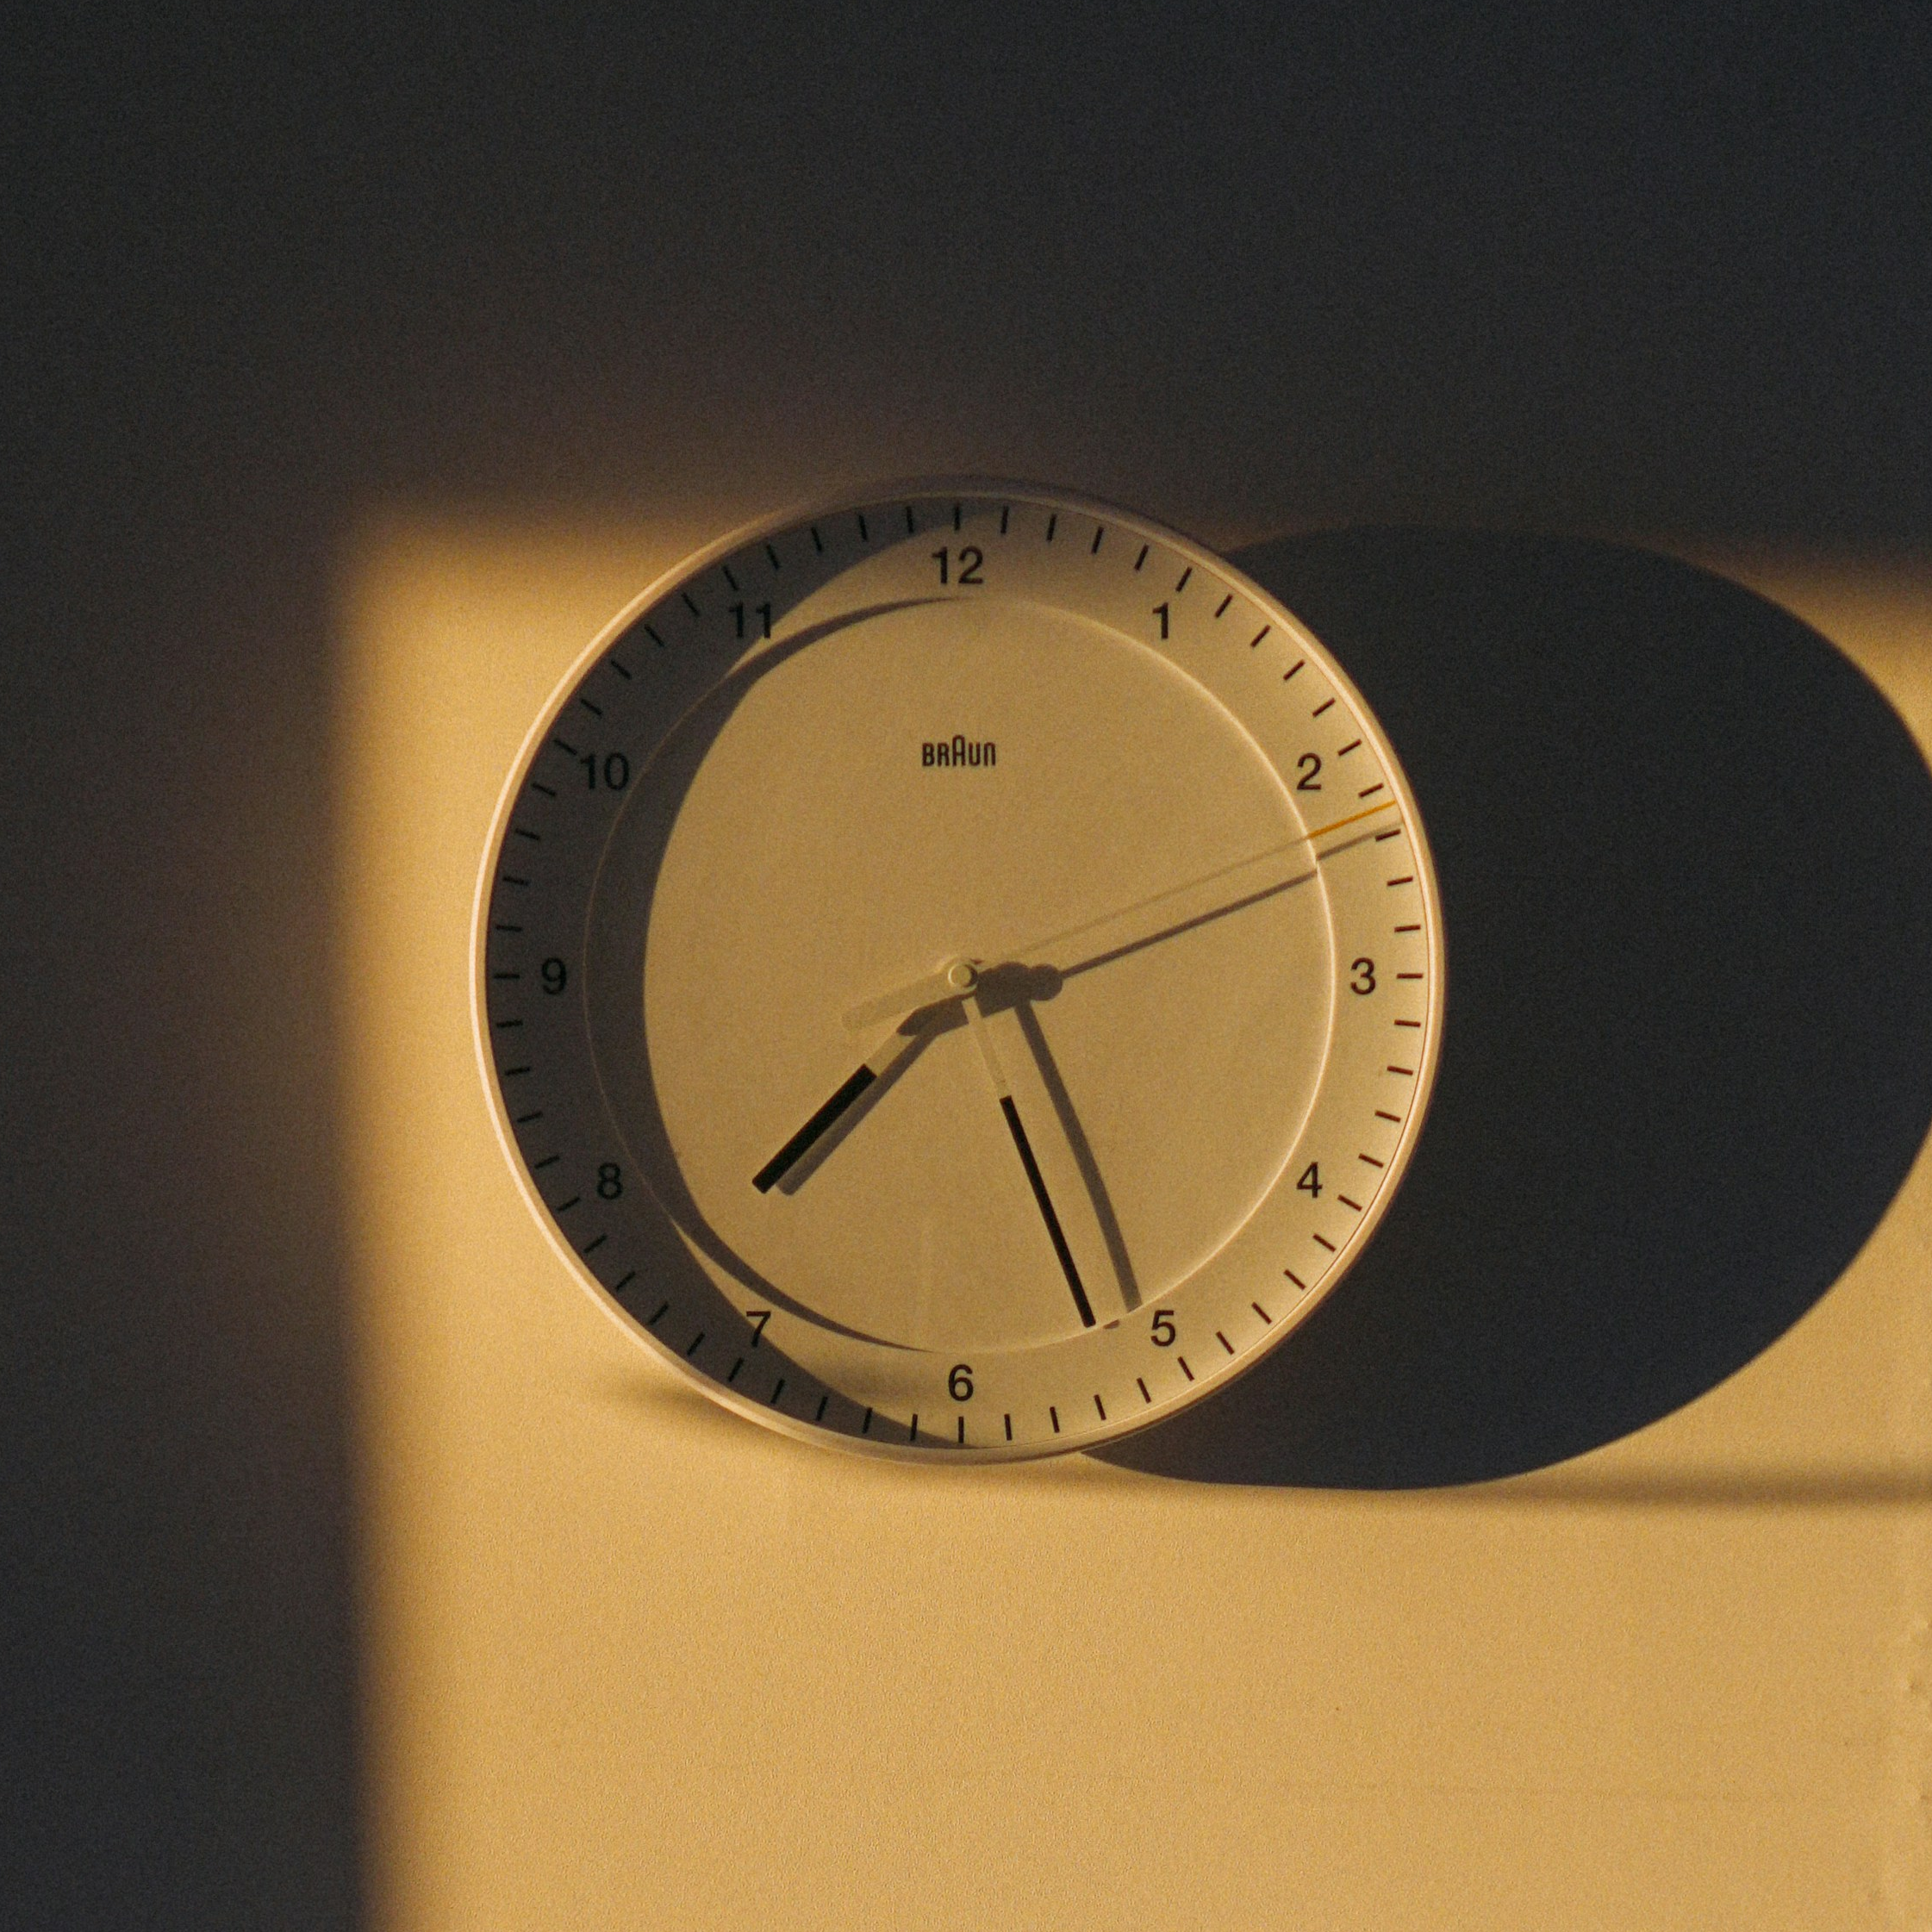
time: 7:26
